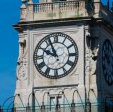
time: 9:55
